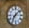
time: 7:08
